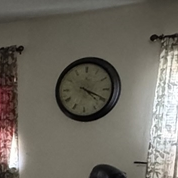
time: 4:19
